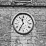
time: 11:35
